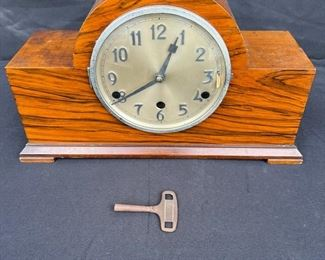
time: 12:39
